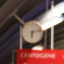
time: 6:13
